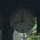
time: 11:42
